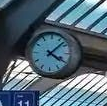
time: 4:07
